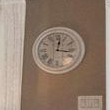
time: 12:16
